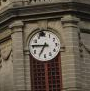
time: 6:45
